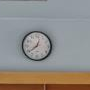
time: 12:38
